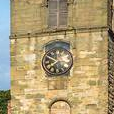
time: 7:49
